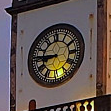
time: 8:45
